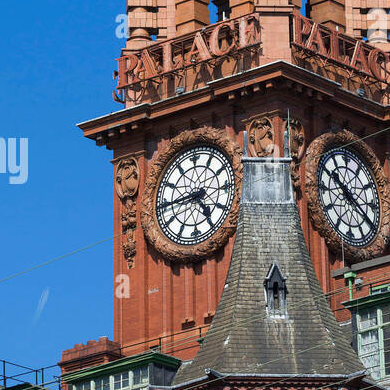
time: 4:44
